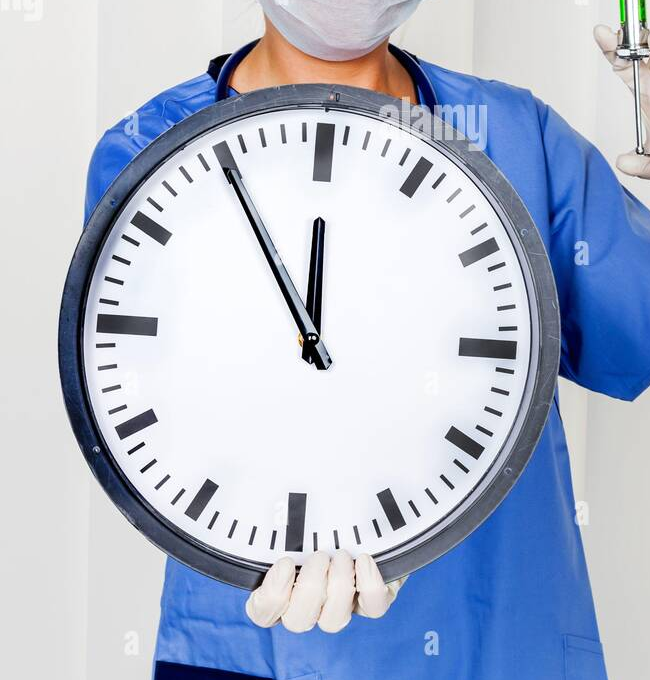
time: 11:54
